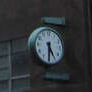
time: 4:29
